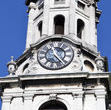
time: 11:23
